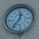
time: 12:36
